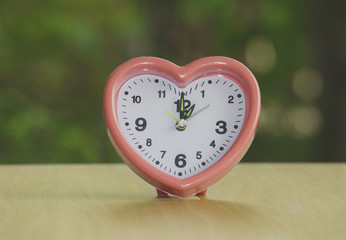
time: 1:00
